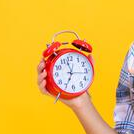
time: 6:58
